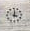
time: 4:01
